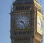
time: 9:23
